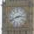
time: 2:41
